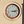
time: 3:13
